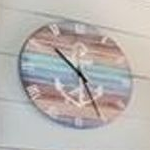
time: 10:25
